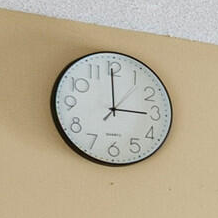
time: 2:59
